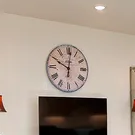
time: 10:00
